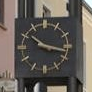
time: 10:17
